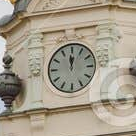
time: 11:58
